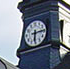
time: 6:14
